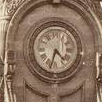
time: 4:32
